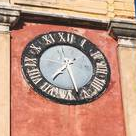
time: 7:27
